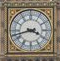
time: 3:42
